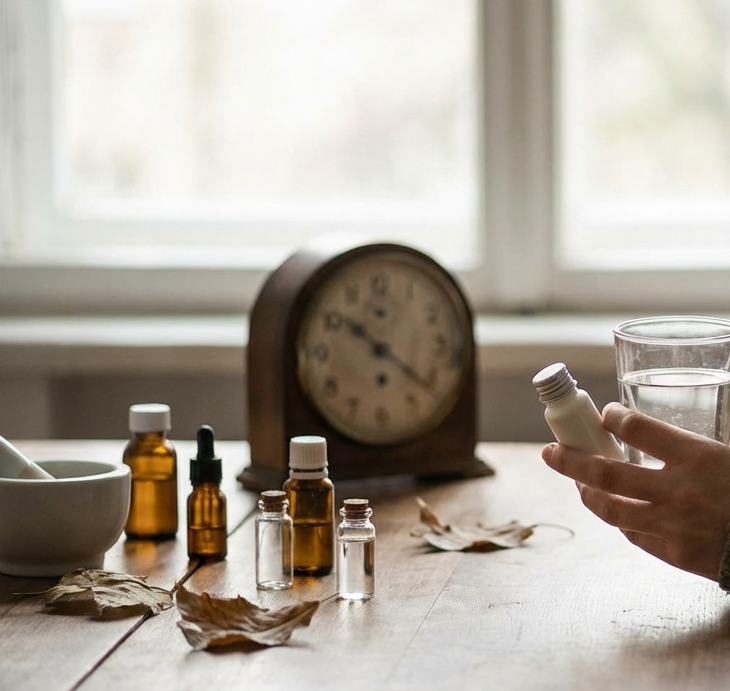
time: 10:21
